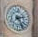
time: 2:25
